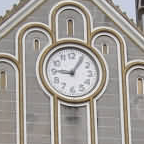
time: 9:05
